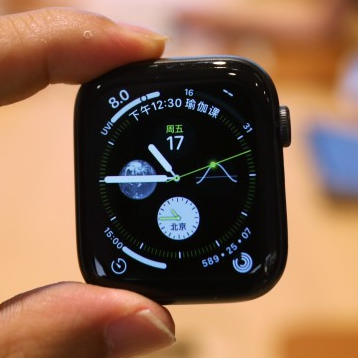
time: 10:45
